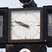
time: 9:48
